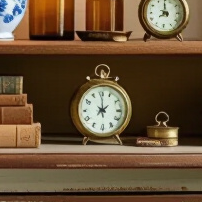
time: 1:59
